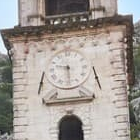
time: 9:28
